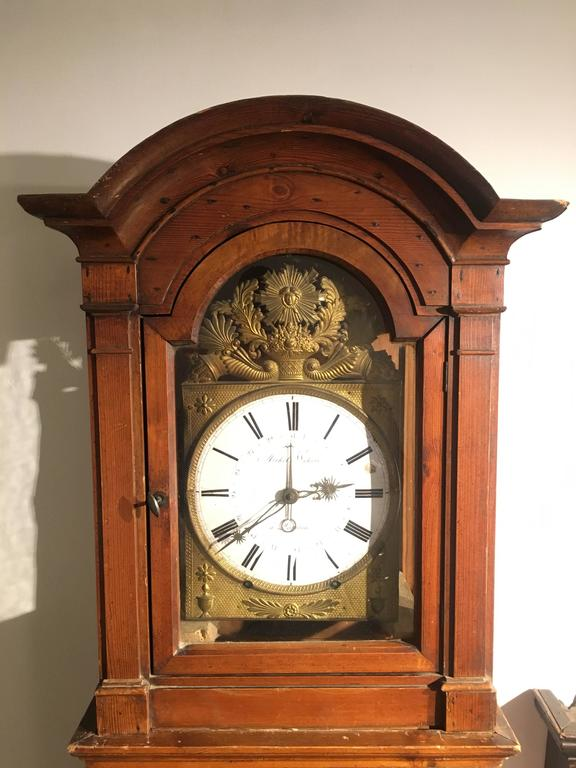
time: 2:40
